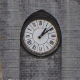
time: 1:09
